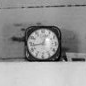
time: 12:43
